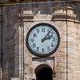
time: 2:06
